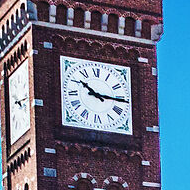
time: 10:15
